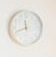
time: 11:41
